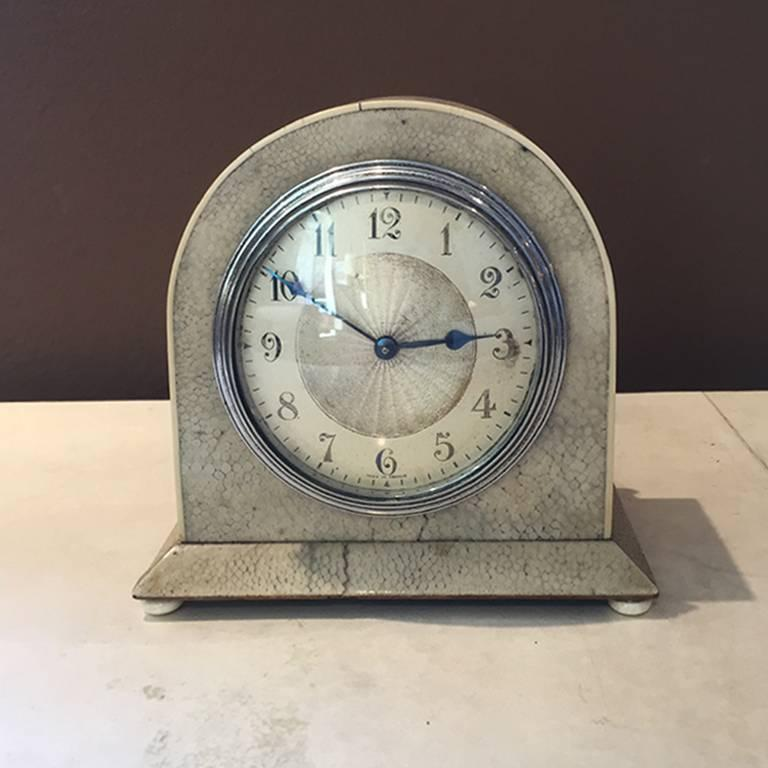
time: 2:50
